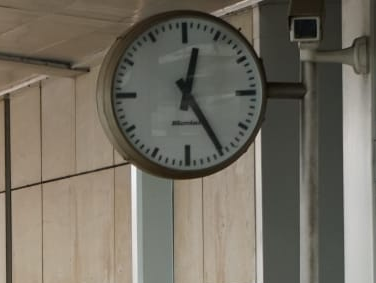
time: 12:24
